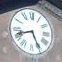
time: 8:25
